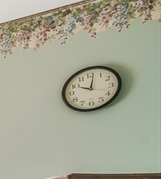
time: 10:01
